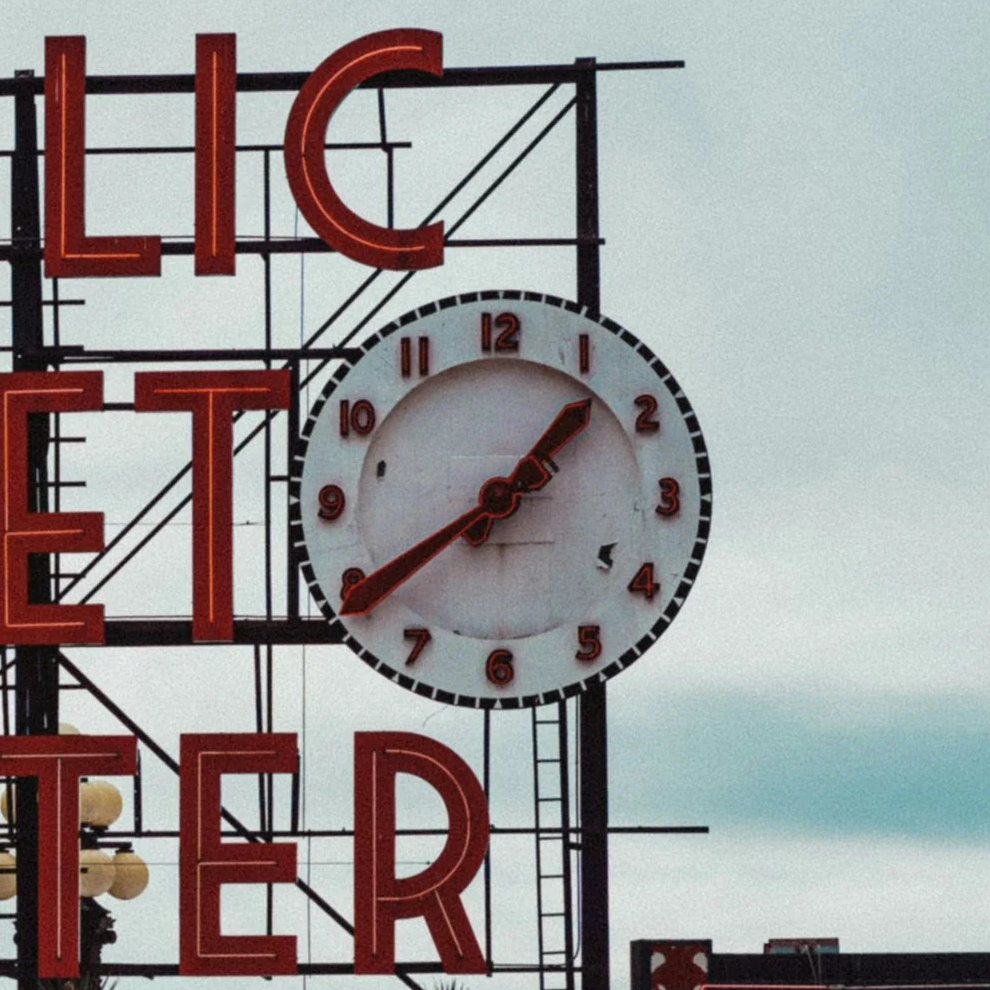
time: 1:39
